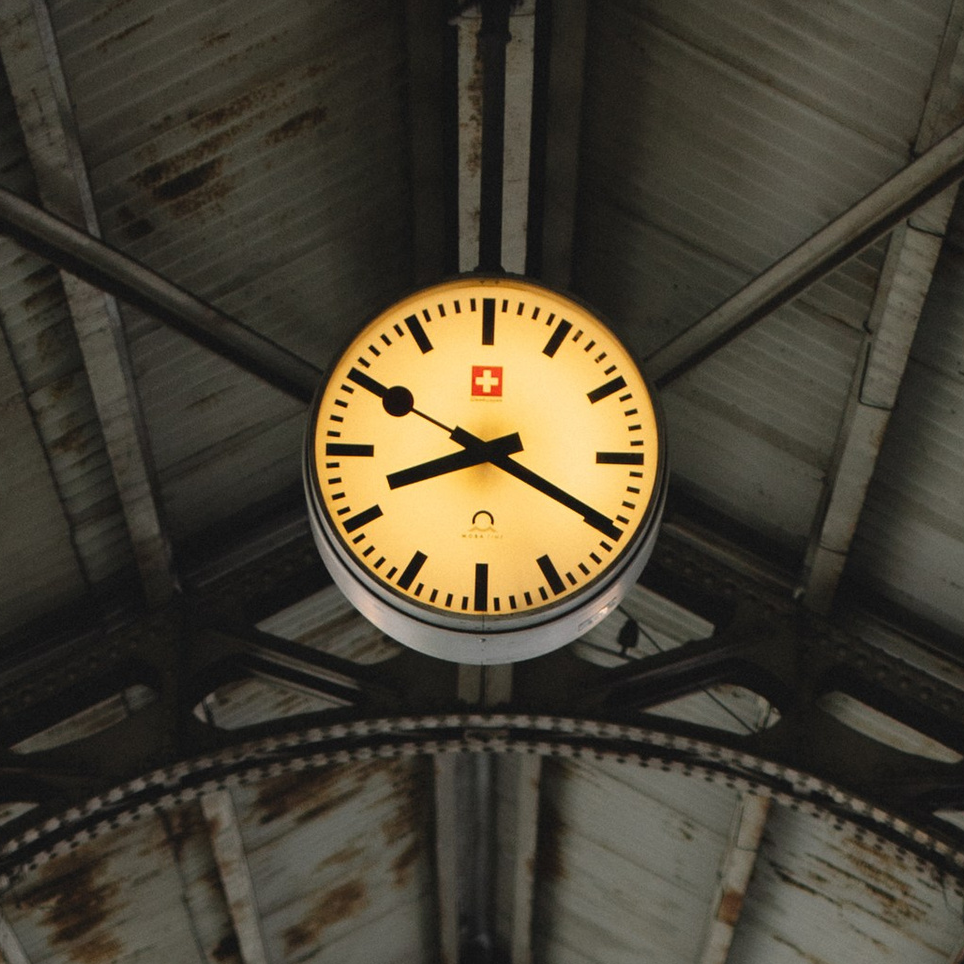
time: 8:19
